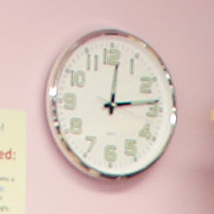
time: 12:13
